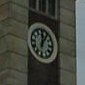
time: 12:05
